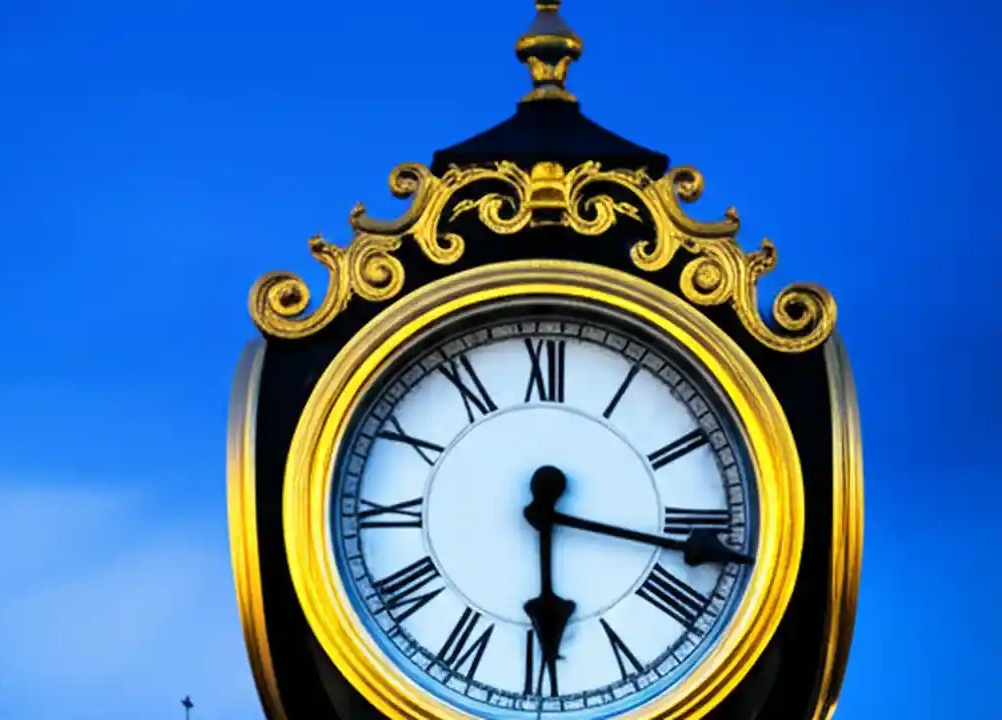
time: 3:29
